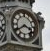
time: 3:39
